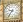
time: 9:36
